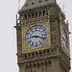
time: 9:18
